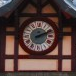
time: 2:11
